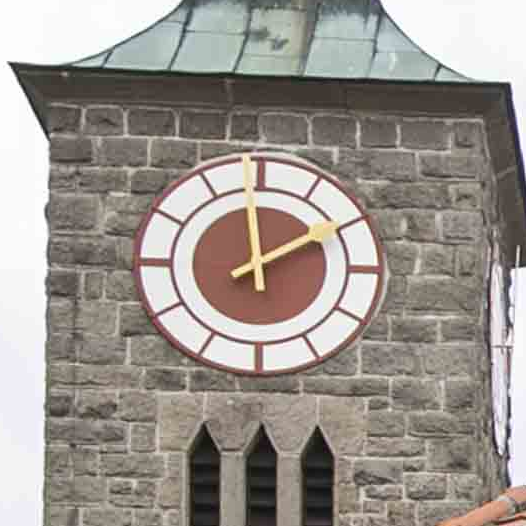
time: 1:59
